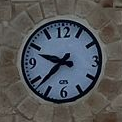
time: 9:37
